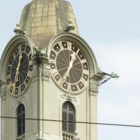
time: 12:34
